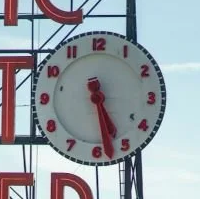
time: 5:28
